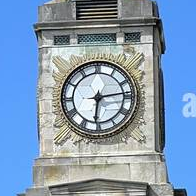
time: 6:13
